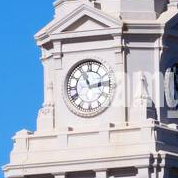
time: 11:13
